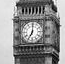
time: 7:00
